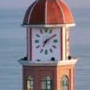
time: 7:09
